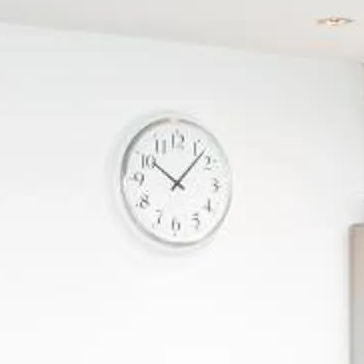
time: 10:07
